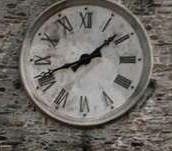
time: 1:41
